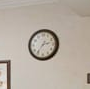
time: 2:36
